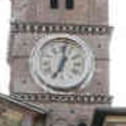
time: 7:01
